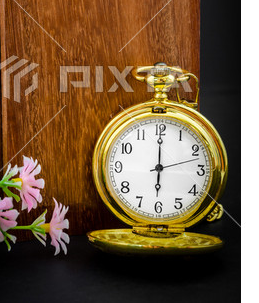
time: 6:00
